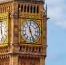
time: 11:26
